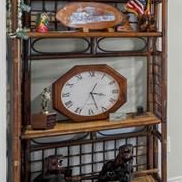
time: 3:27
